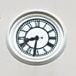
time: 8:31
